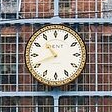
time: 10:41
